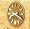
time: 8:19
